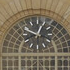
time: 12:49
